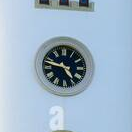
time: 4:47
